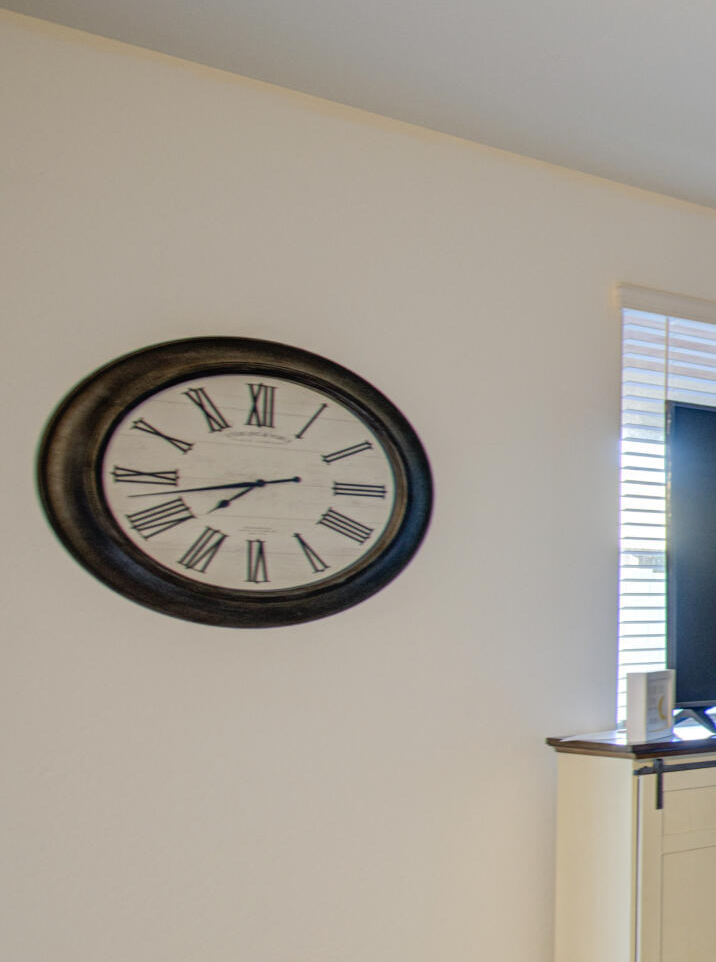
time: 7:42
